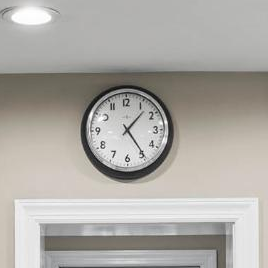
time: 1:24
